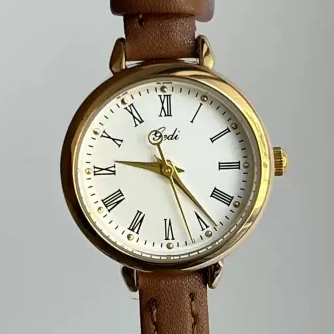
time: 9:23
